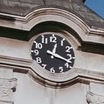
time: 12:18
